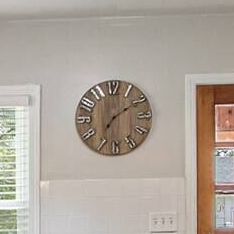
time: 7:09
